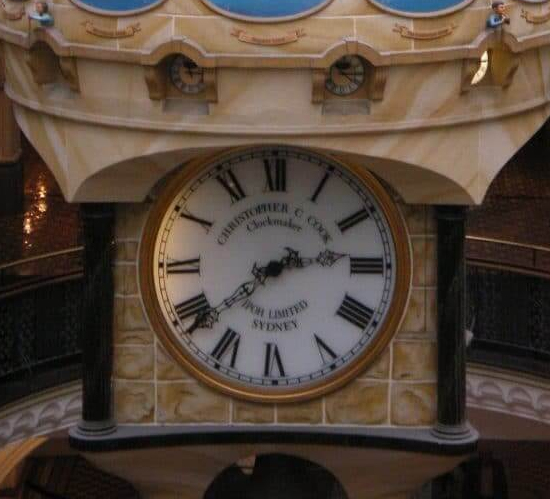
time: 2:38
